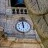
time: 11:59
